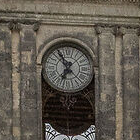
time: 6:54
